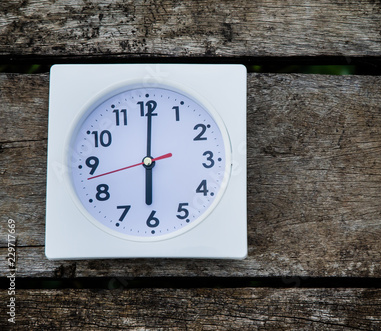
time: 6:00
